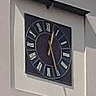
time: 12:26
